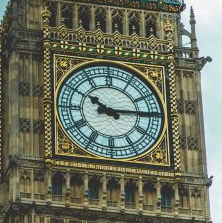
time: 10:14
